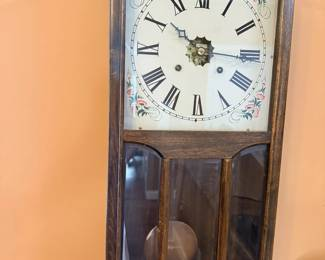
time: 10:15
